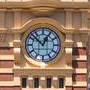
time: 12:52
